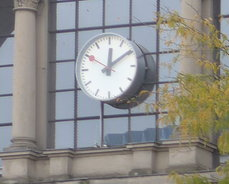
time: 12:09
